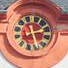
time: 2:26
